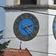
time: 8:11
